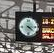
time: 4:14
